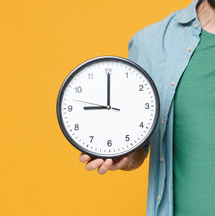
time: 9:00
